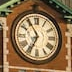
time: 6:55
